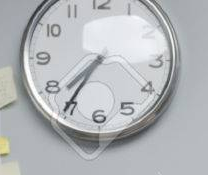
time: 7:35
